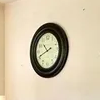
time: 10:41
